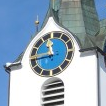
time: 11:43
